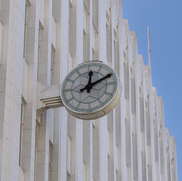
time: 12:10
